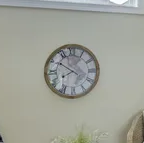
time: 7:50
